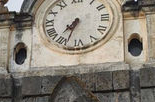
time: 7:33
